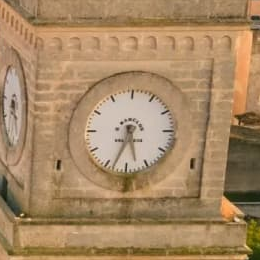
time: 5:33
